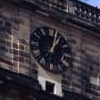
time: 1:02
